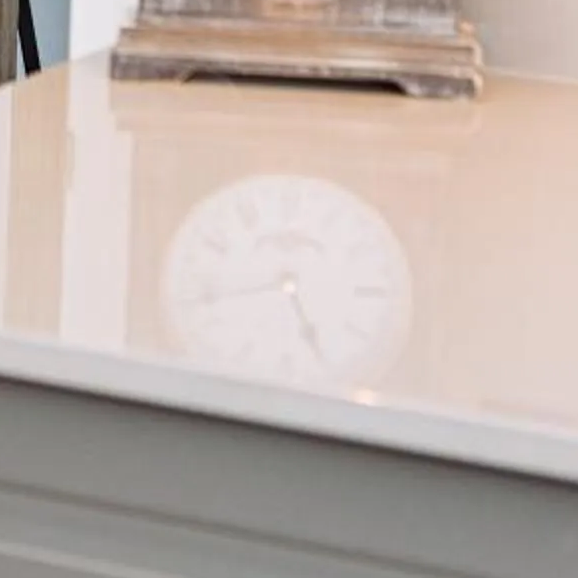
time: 8:26
